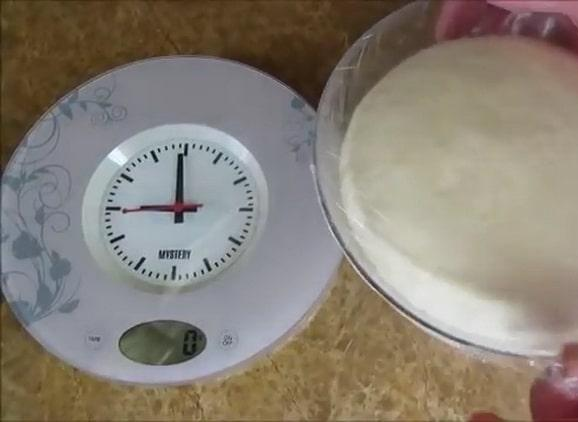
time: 8:59
